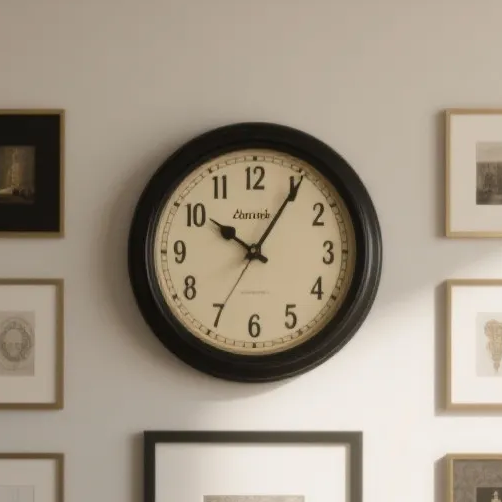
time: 10:05
